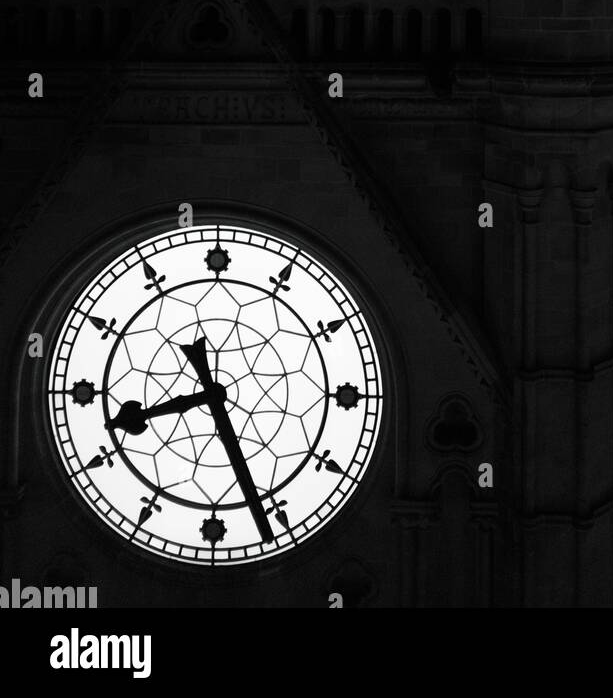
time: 8:26
